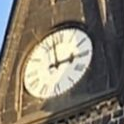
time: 2:58
